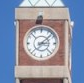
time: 3:07
